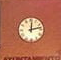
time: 12:12
